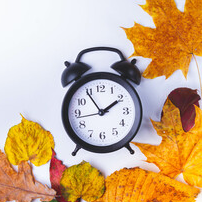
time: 1:54
